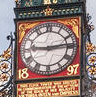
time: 9:13
